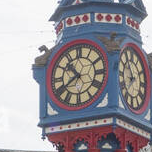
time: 10:39
